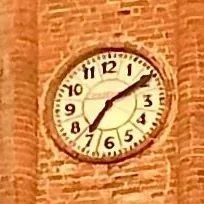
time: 7:09
